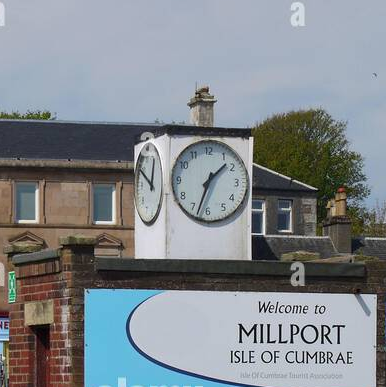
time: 1:33
